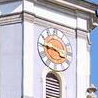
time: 3:45
